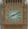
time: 8:11
